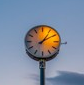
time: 1:09
